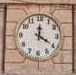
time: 4:00
